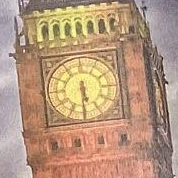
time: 5:30
